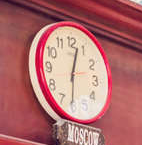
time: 12:30
